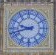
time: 9:42
